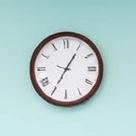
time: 7:05
